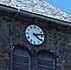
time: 4:13
